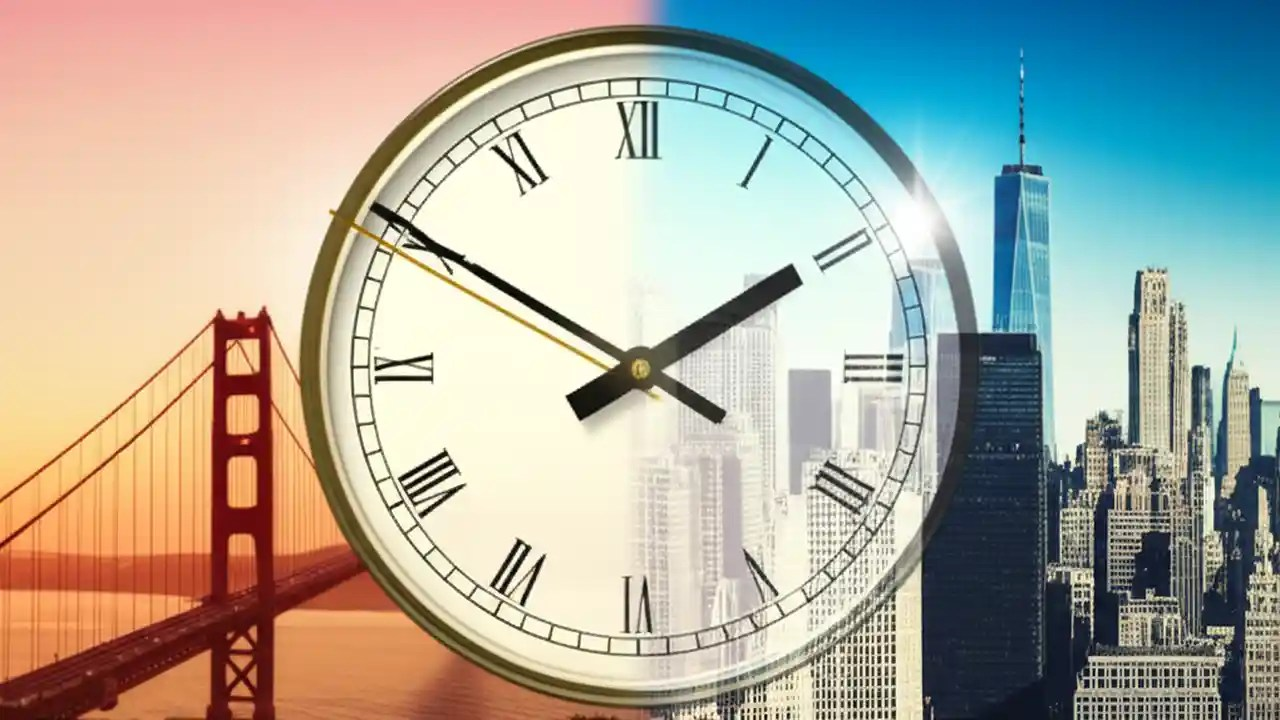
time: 1:50
